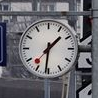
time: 1:31
